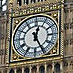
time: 12:25
